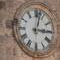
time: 3:02
